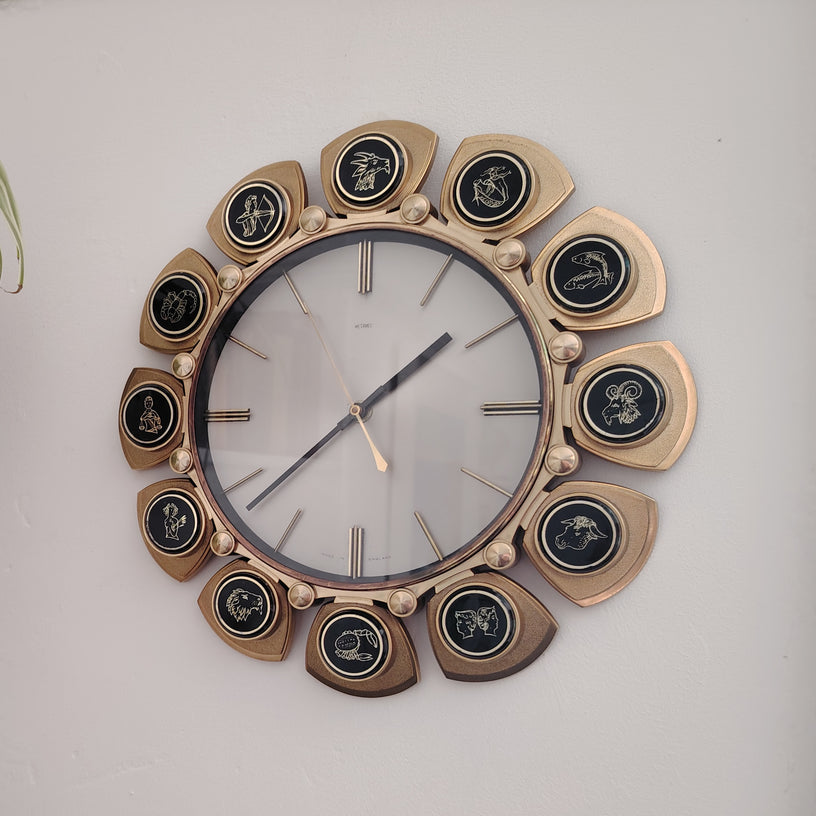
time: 1:38
